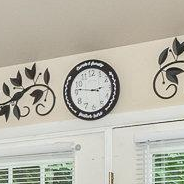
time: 2:46
